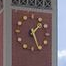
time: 1:26
